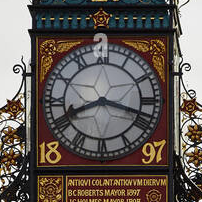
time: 8:17
